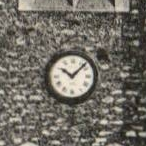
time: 10:07
